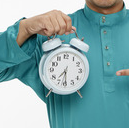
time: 7:29
